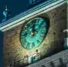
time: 12:07
